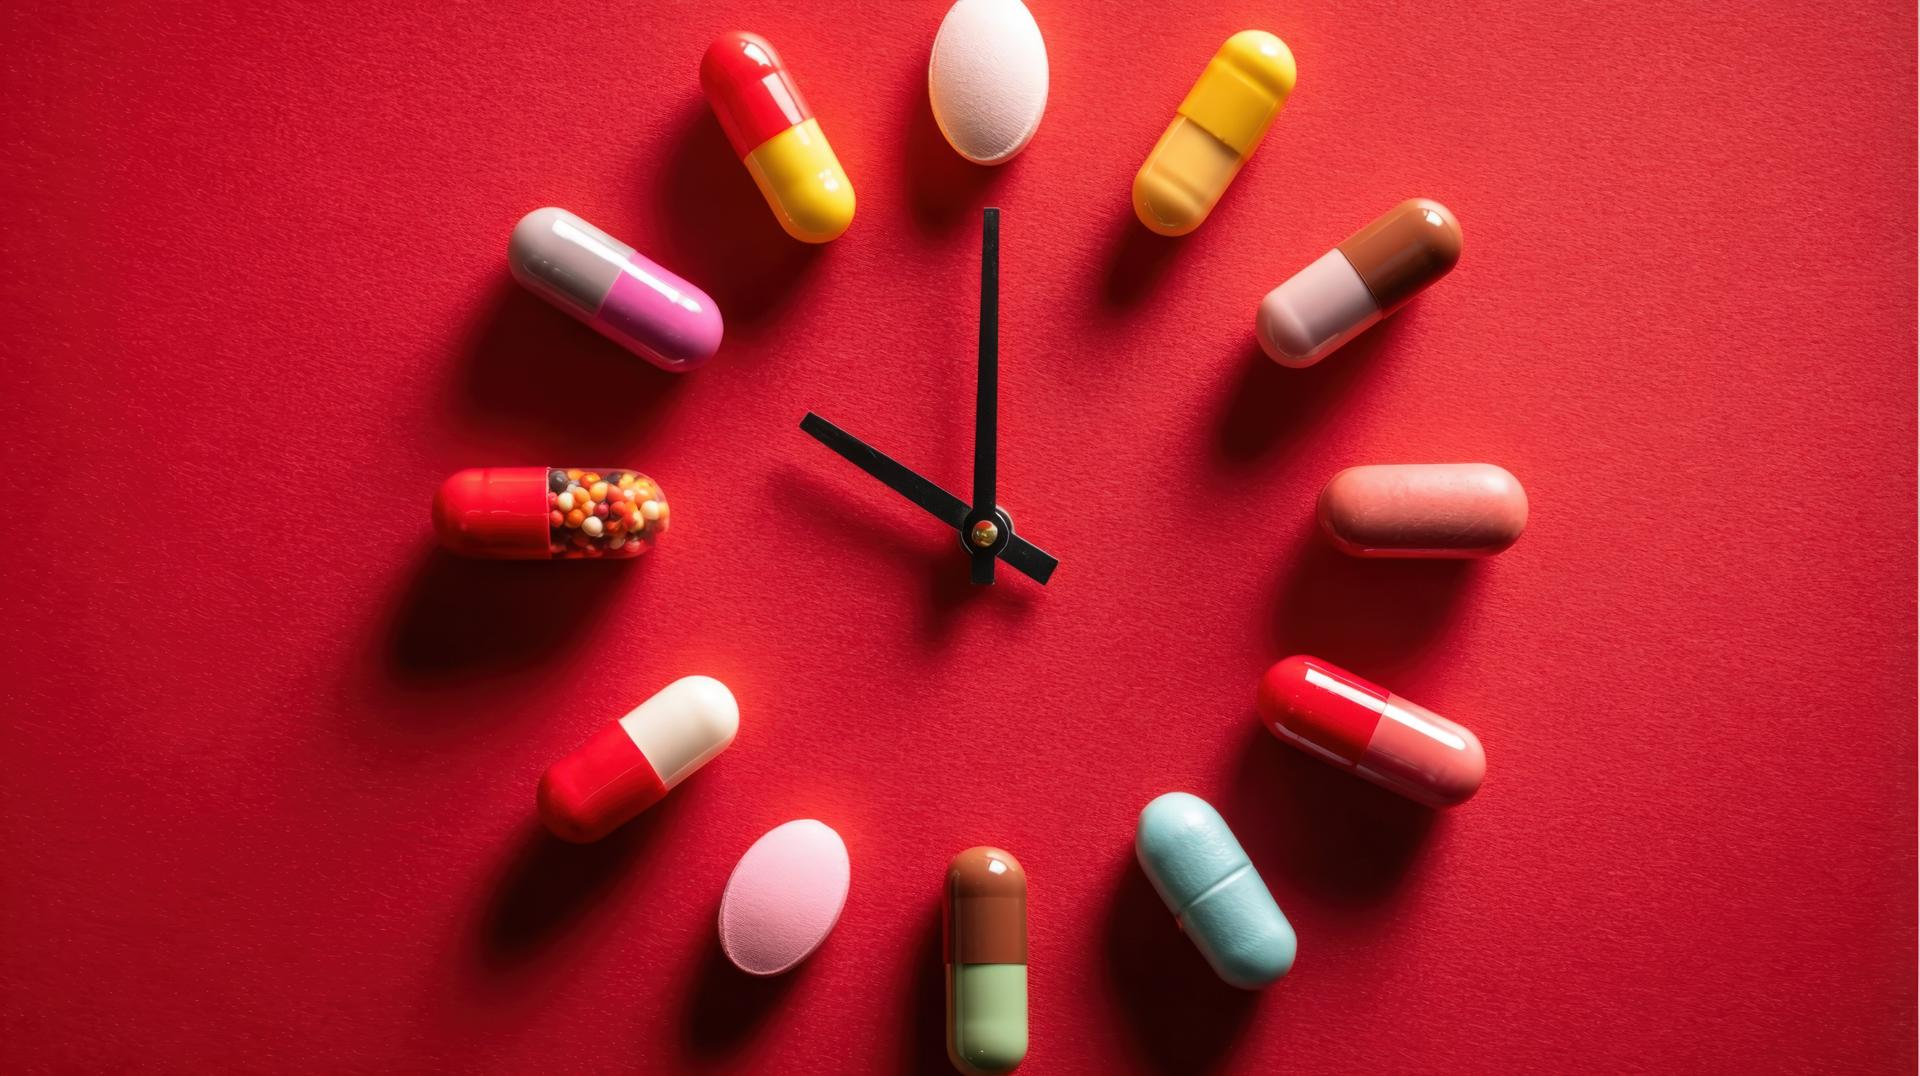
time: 10:00
